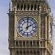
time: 2:00
